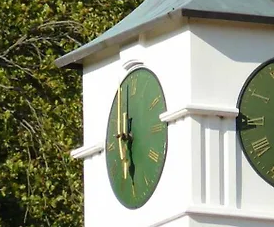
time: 5:59
